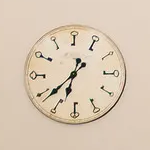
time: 6:38
